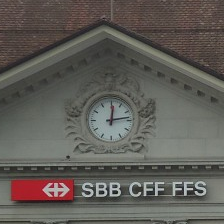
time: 12:13
